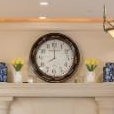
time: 7:59
